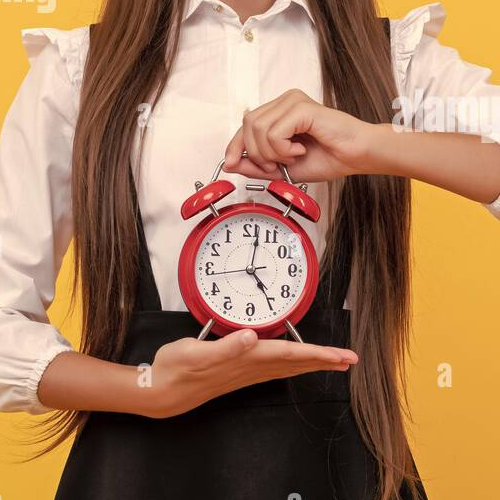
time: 5:01
